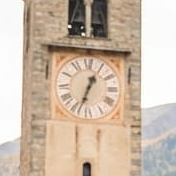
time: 12:33
